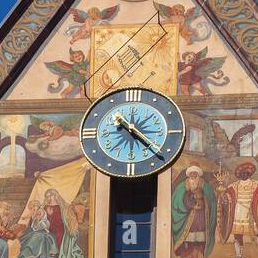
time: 1:22
